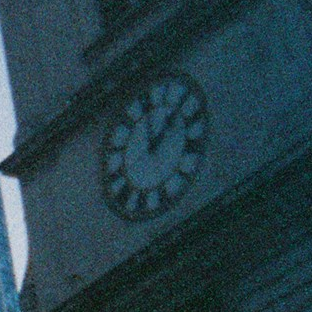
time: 12:07
